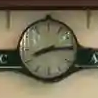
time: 8:14
